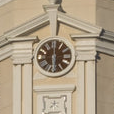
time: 6:00
